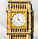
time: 11:22
